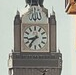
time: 8:36
